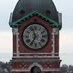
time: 6:56
